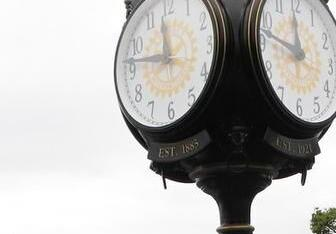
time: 11:46
